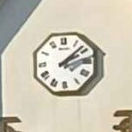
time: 2:08
